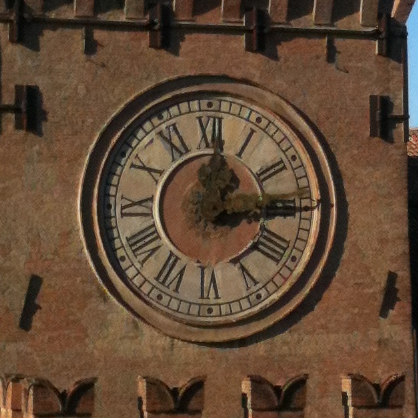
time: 12:14
